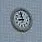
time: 8:57
